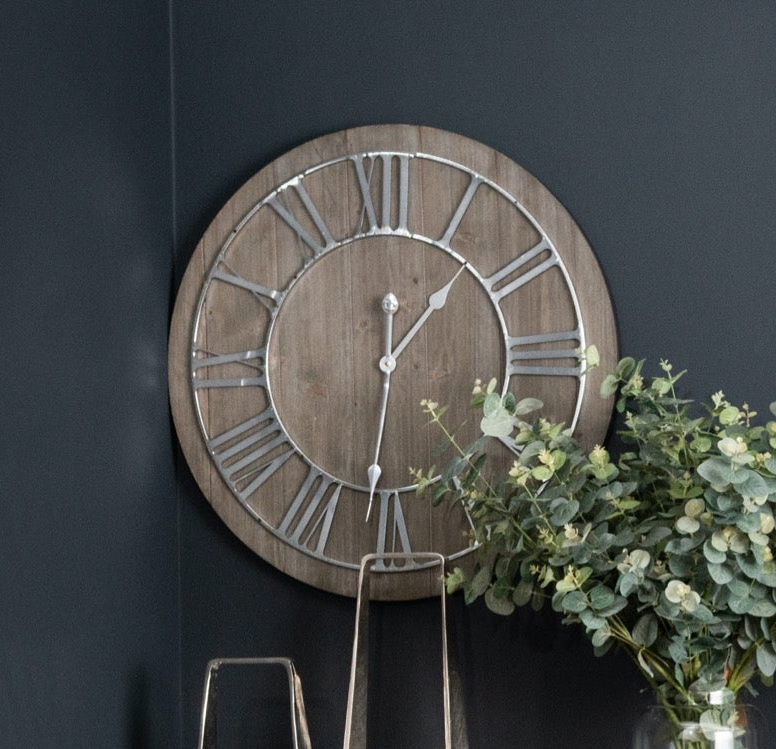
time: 1:31
